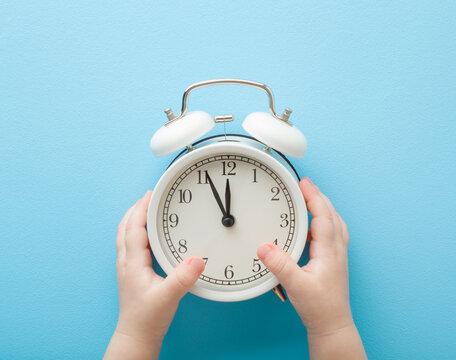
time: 11:55
